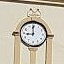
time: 8:59
